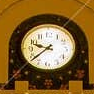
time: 9:38
